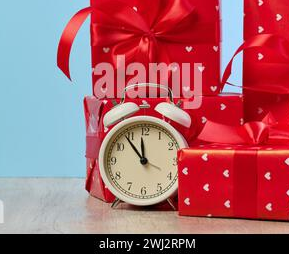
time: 11:53
